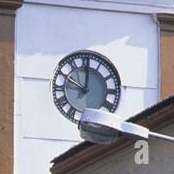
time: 10:00
